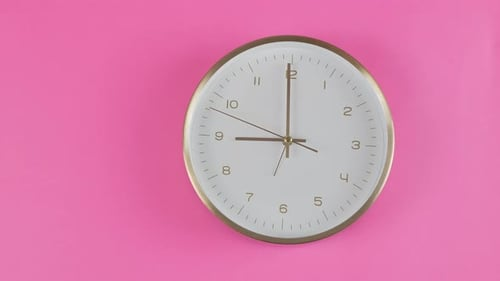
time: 8:59
